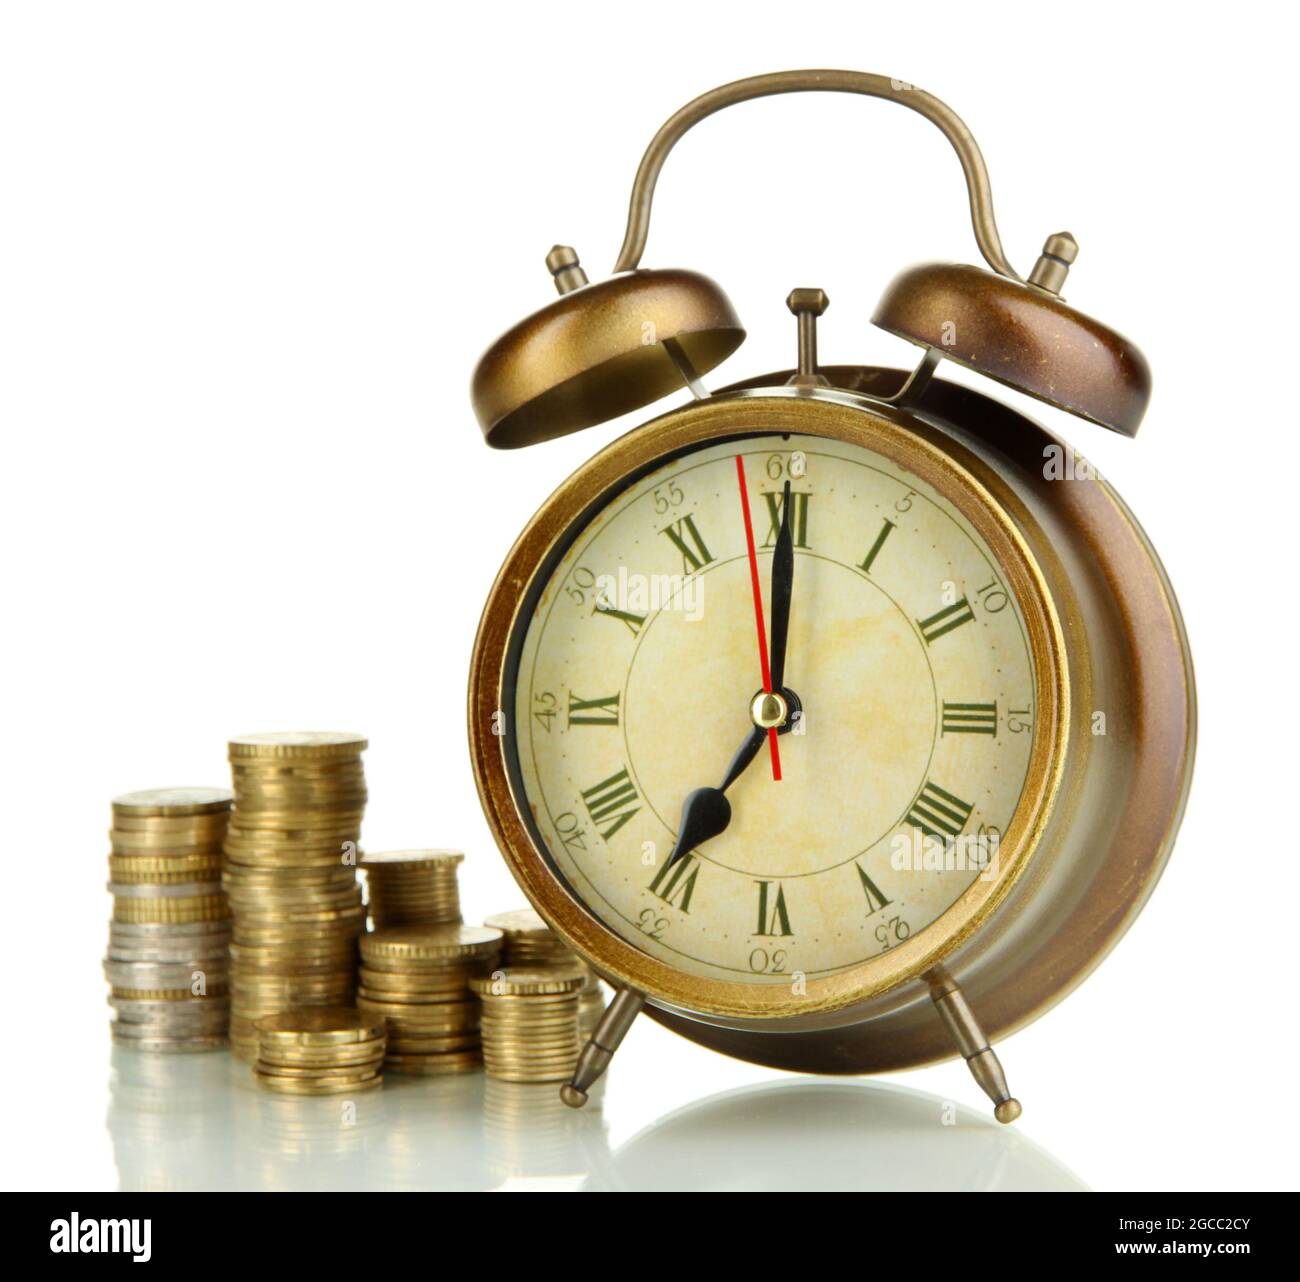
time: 7:00
